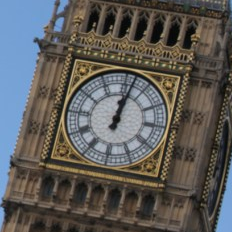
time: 12:01
